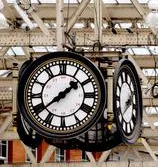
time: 1:38
